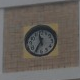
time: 11:35
